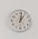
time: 1:01
